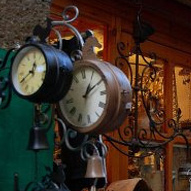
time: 1:10
